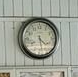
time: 4:28
